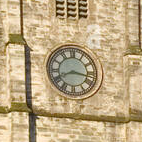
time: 8:17
